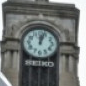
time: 12:03
